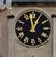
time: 12:58
